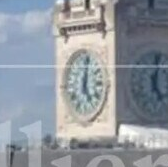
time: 5:01
